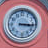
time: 3:15
